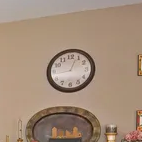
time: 12:43
